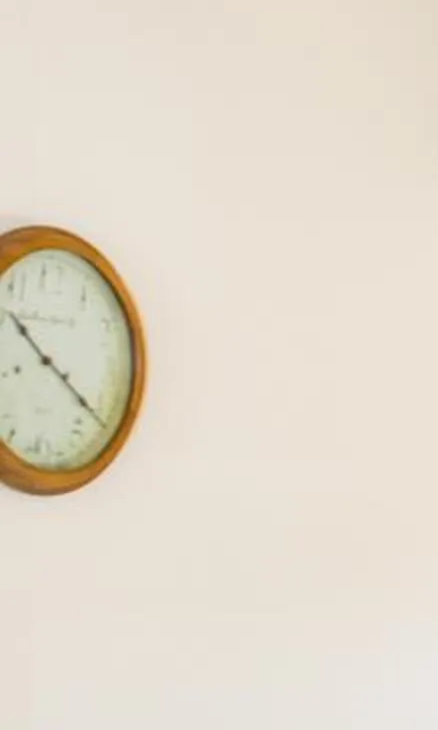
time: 10:20
